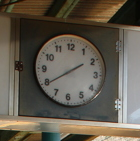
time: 1:39
